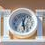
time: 12:27
